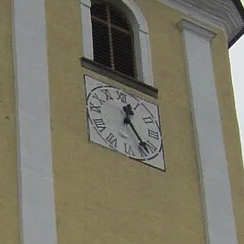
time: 12:23
